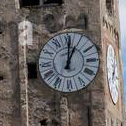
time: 1:01
